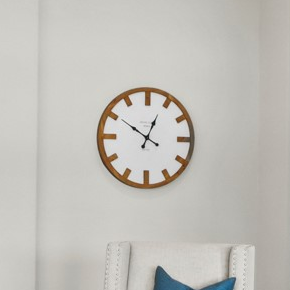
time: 12:50
